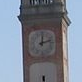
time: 12:12
